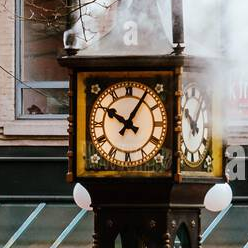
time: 10:05
